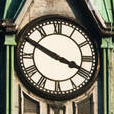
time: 3:49
